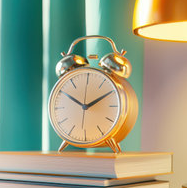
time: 1:50
